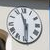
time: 11:30
